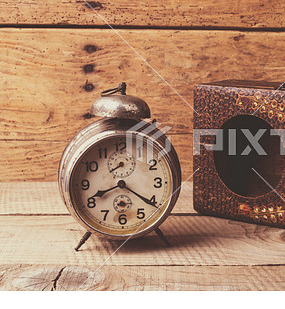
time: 8:20
